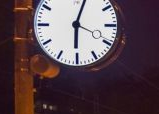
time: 6:03
